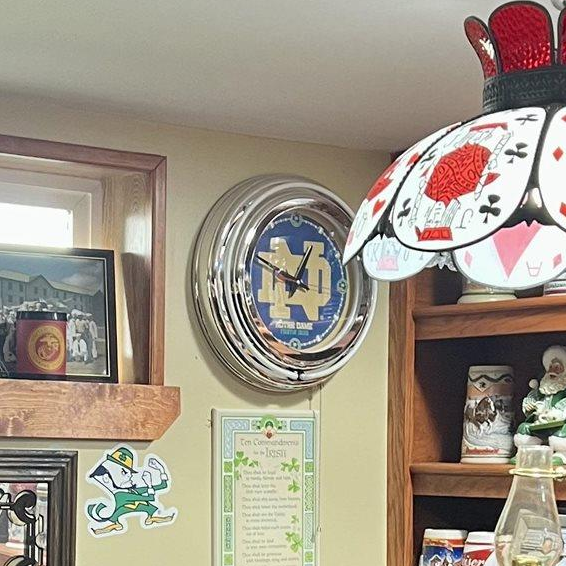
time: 12:49
